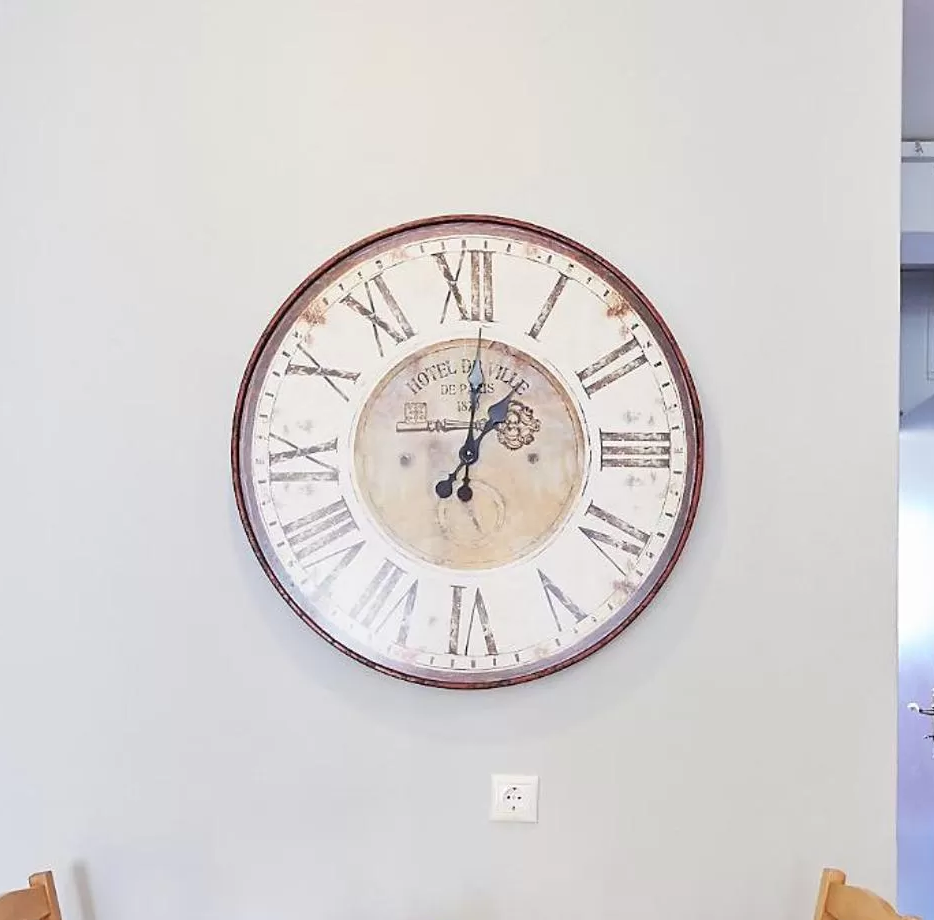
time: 1:01
